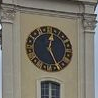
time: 12:26
